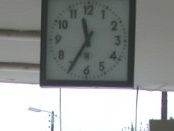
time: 11:34
